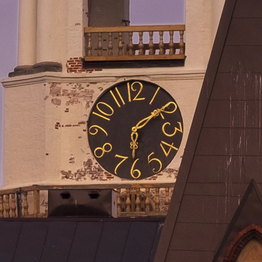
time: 6:08
